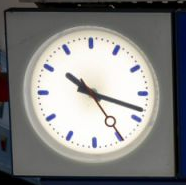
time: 10:18
